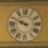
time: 9:48
